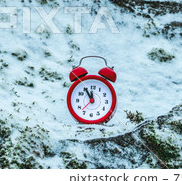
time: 11:54
